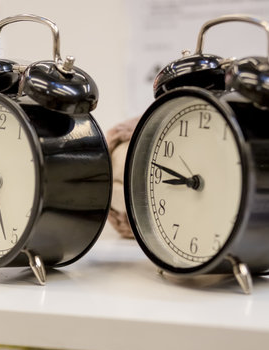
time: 8:46
